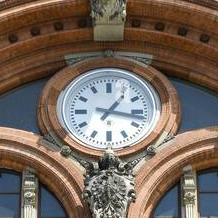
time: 1:16
